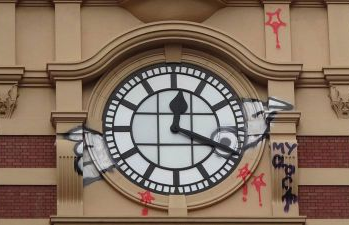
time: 12:18
